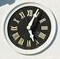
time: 5:04
